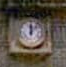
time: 12:07
